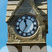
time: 11:35
